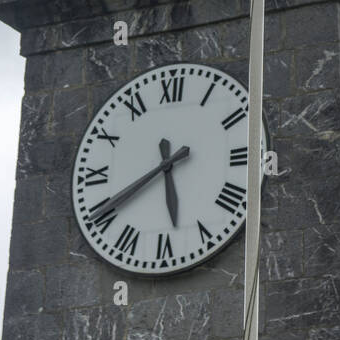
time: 5:40
